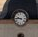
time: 9:45
